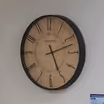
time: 5:12
